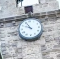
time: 9:54
